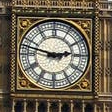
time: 2:47
